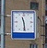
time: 11:28
